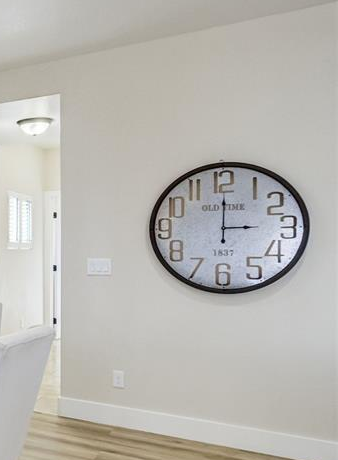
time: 3:00
